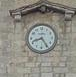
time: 8:24
